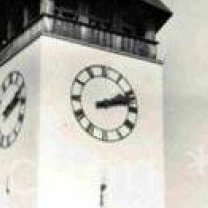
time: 2:12
